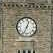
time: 12:33
